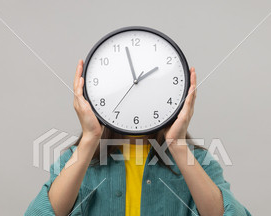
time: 1:57
